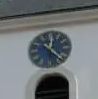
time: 12:22
